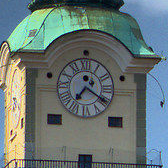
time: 7:20
